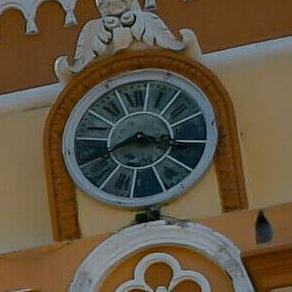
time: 8:16
